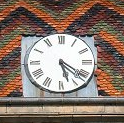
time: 5:21
